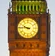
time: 9:45
